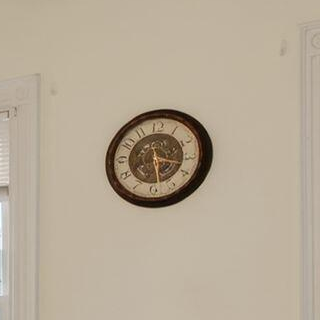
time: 3:28
